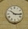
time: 10:15
